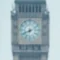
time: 8:11
